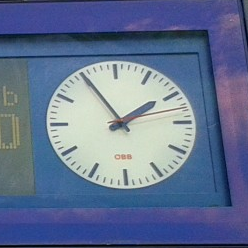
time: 1:55
